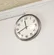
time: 11:41
